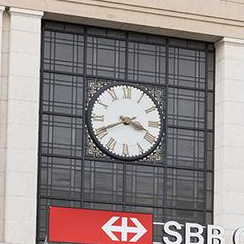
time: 3:40
